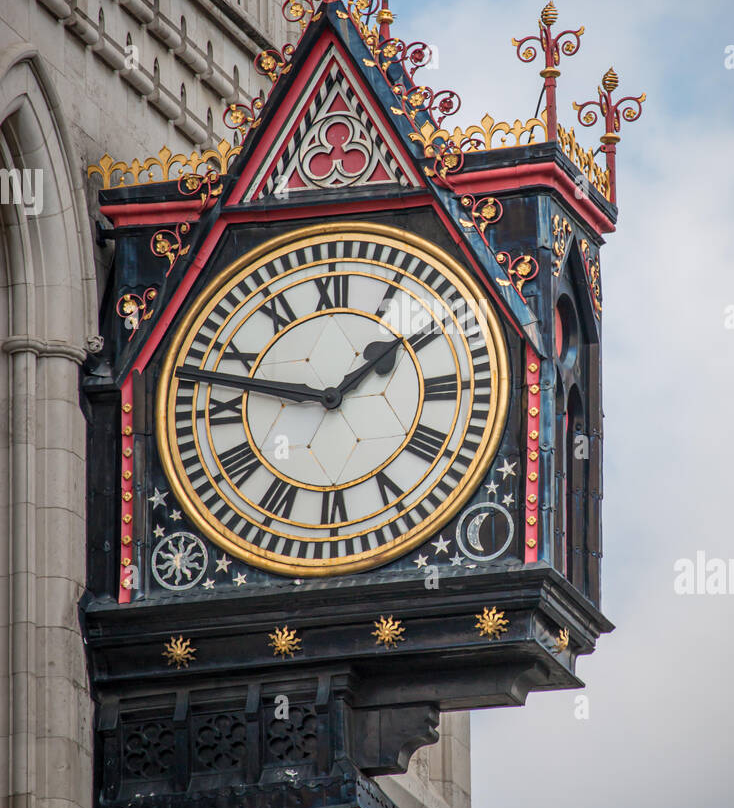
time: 1:47
